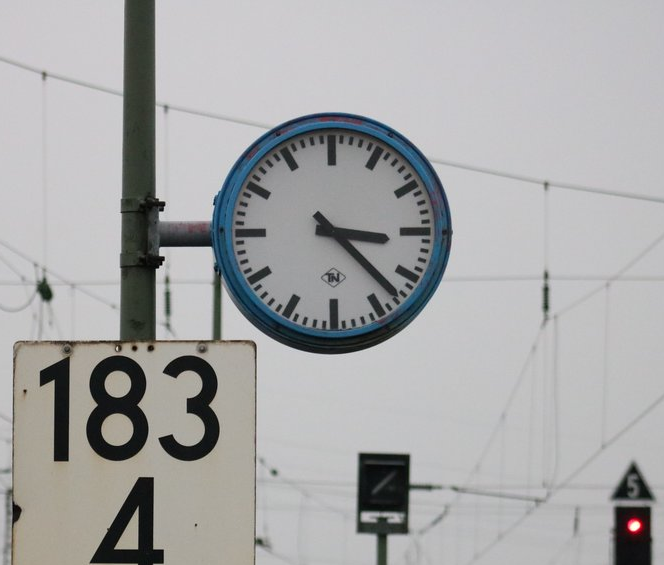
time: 3:22
